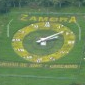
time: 2:08
